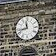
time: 11:42
